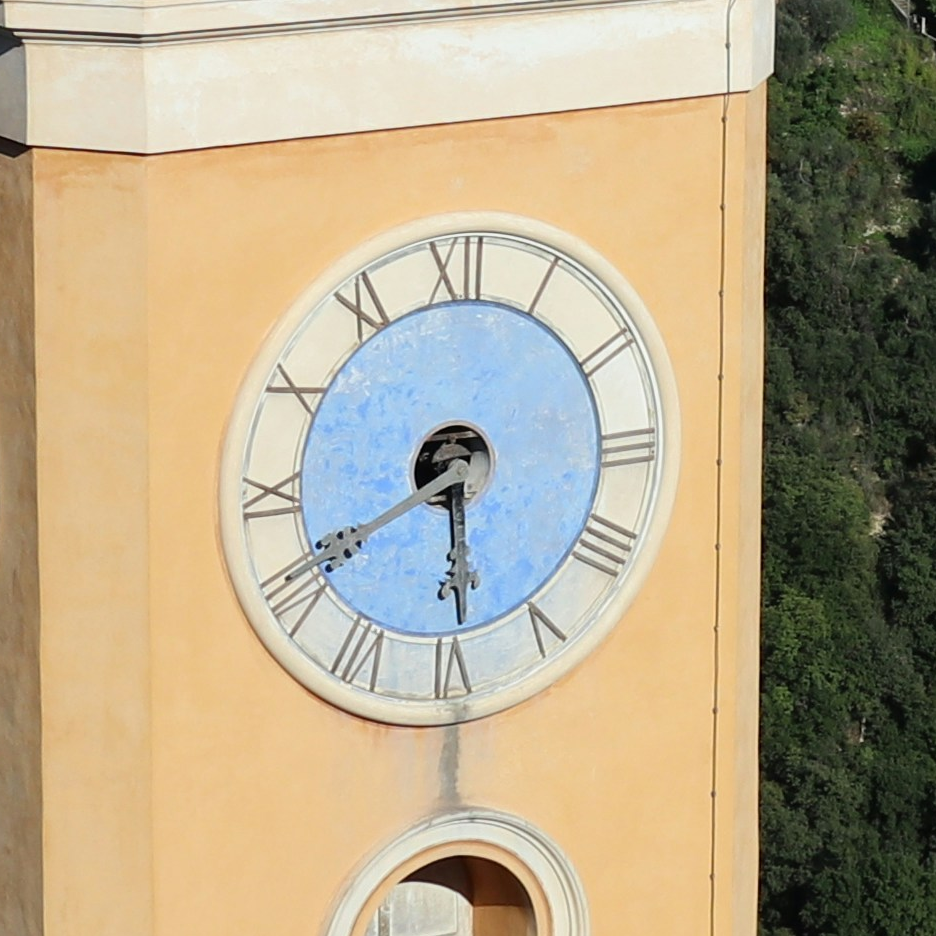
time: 5:40
